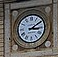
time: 3:09
